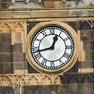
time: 12:42
